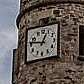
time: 12:46
